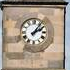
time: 2:06
